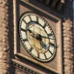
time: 5:11
